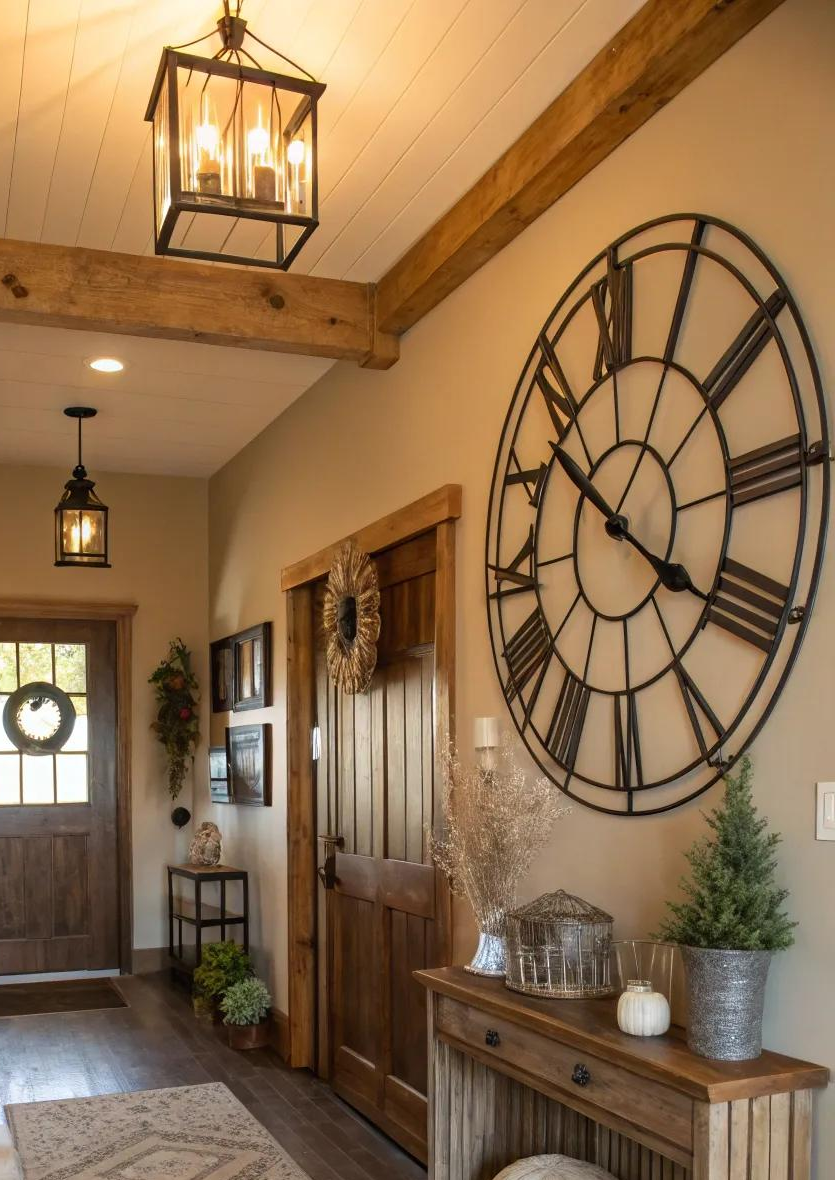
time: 10:20
